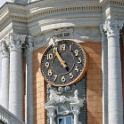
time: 4:54
